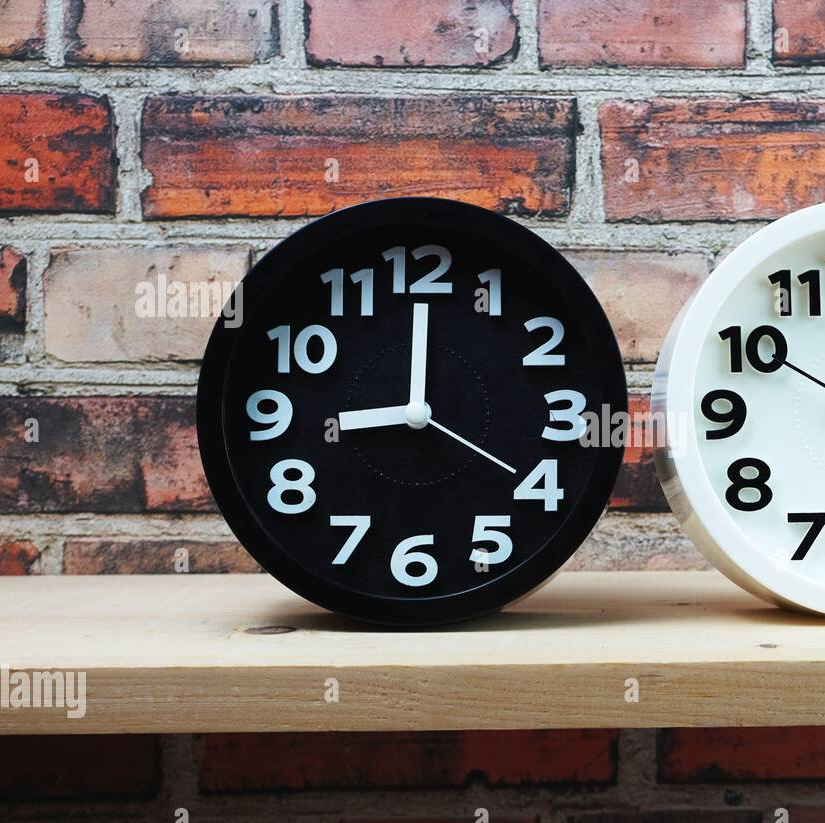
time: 9:00
